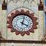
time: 4:02
